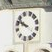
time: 8:47
